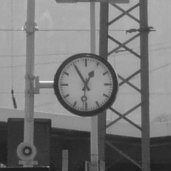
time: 12:54
